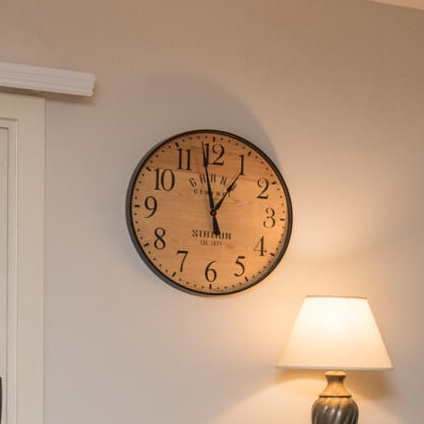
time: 12:58
